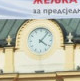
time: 4:07
